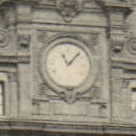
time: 11:07
